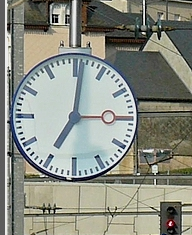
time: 7:01
